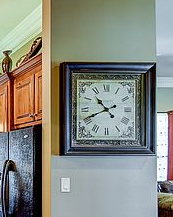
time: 10:41
